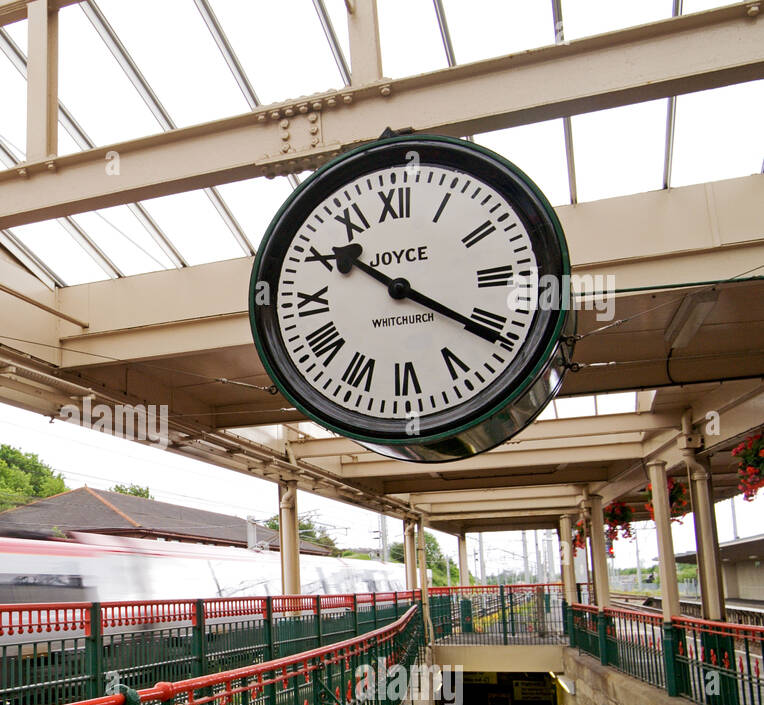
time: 10:20
